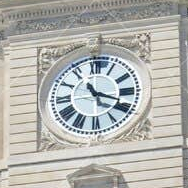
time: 11:18
